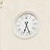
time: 6:26
